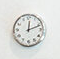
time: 12:11
